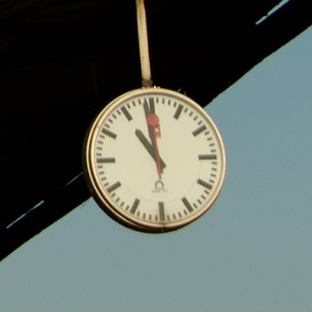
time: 10:58
